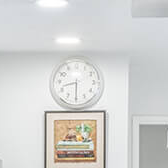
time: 8:30
